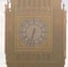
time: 6:32
